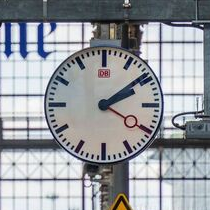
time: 2:09
